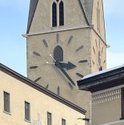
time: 3:23
